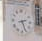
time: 2:26
